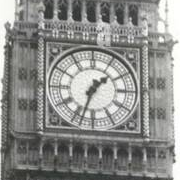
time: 1:33
